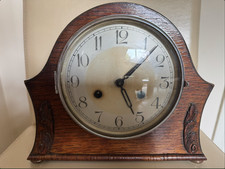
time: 5:07
